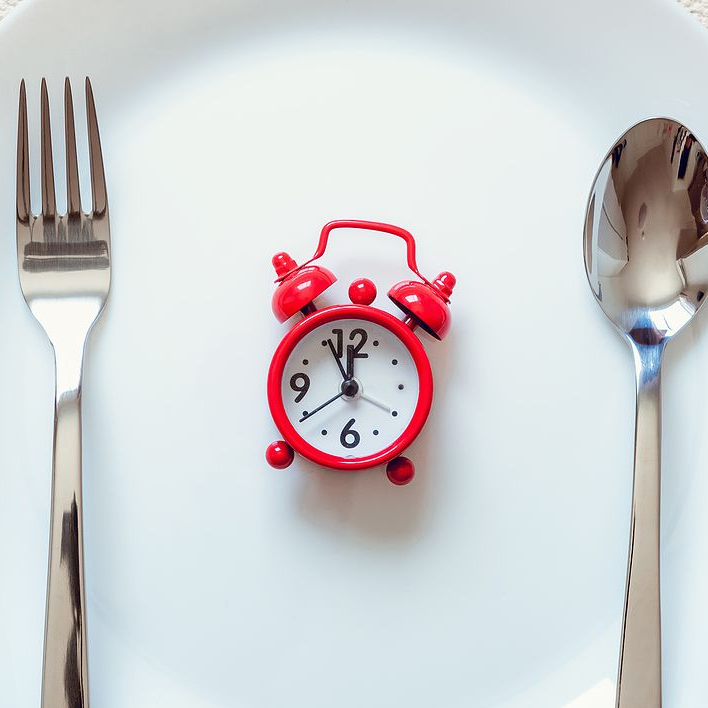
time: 11:55
